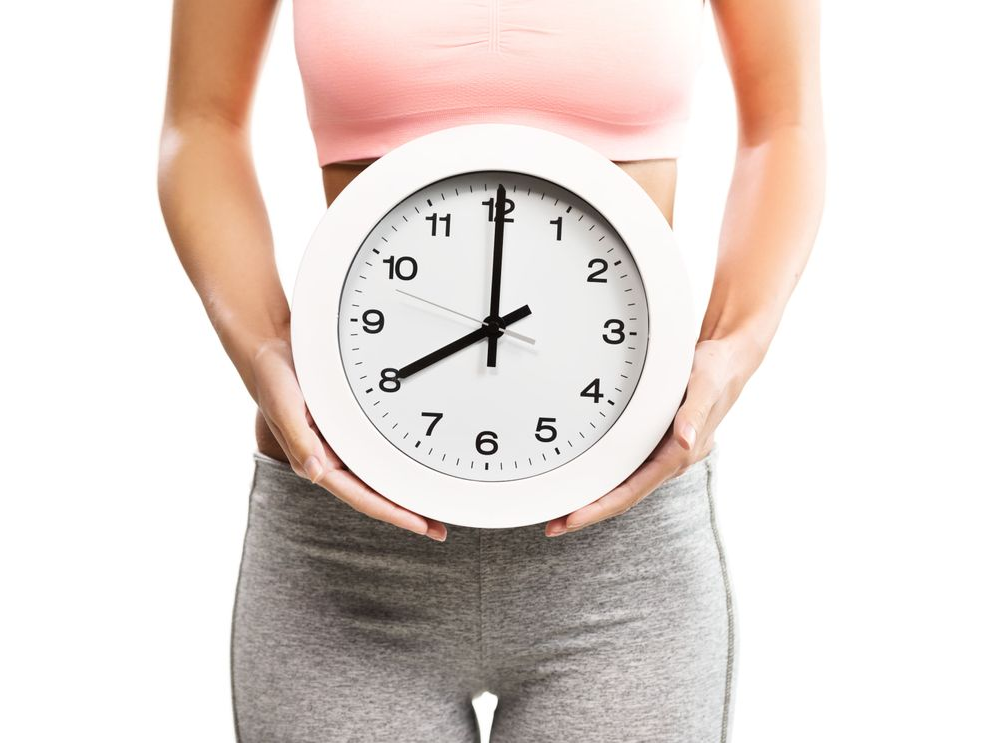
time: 8:00
